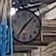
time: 7:07
